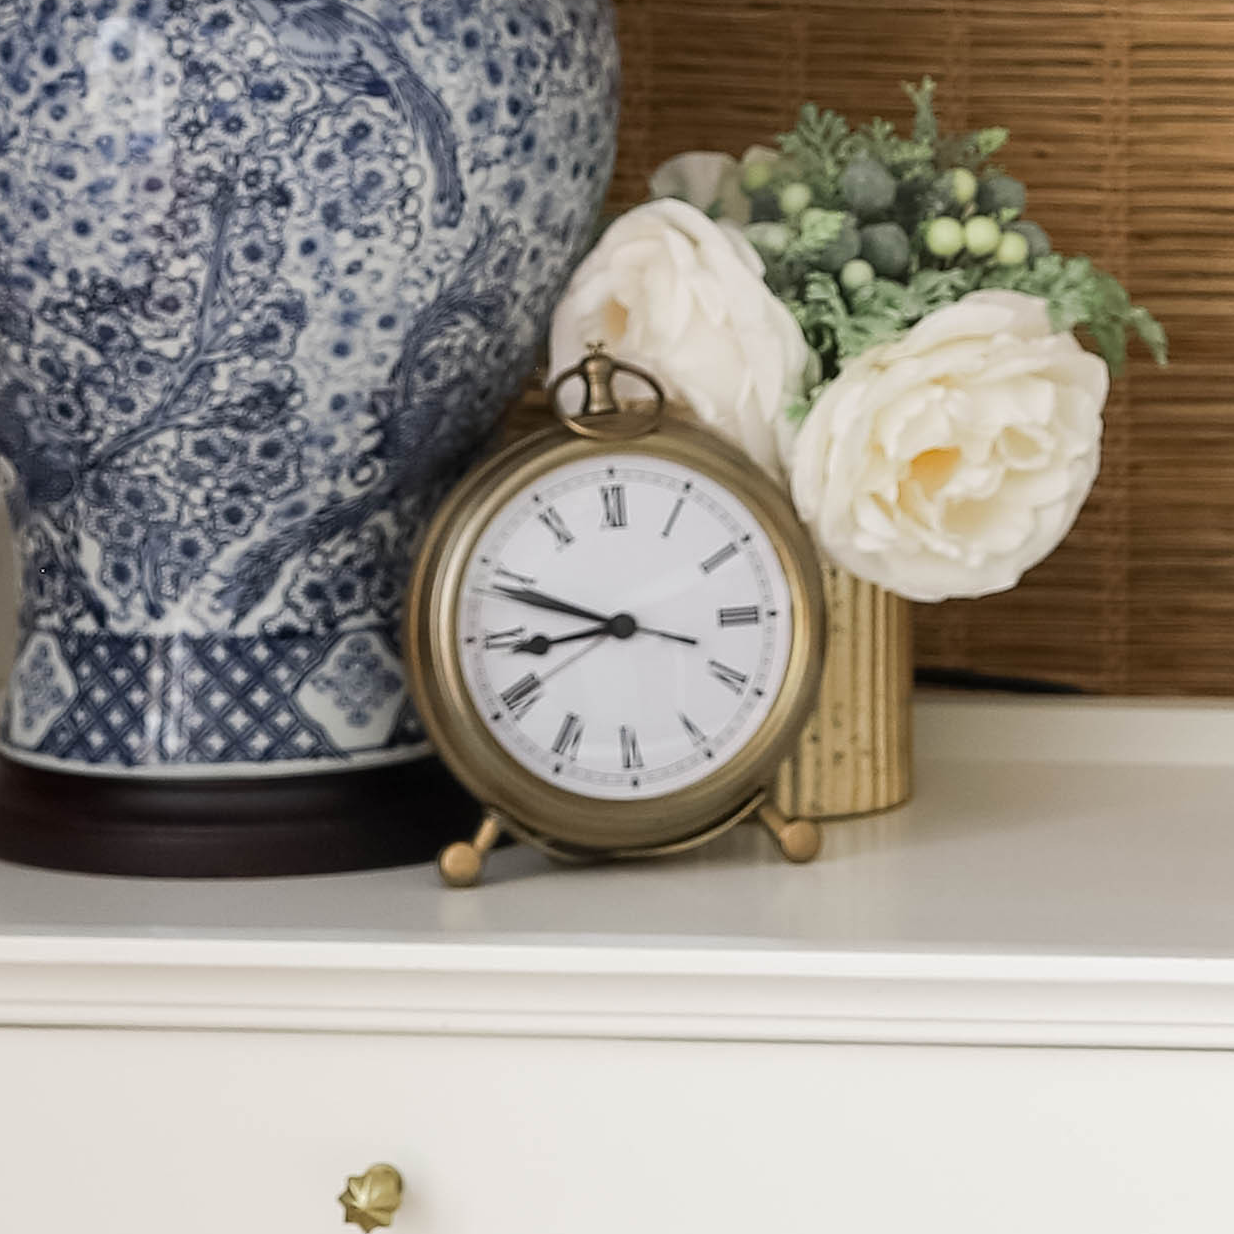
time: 8:48
